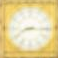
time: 8:15
